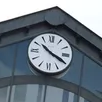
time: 10:19
